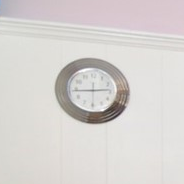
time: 2:44
